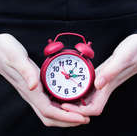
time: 1:13
